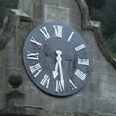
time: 6:28
